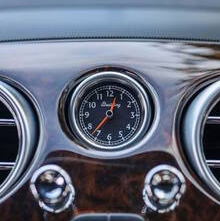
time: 12:36
